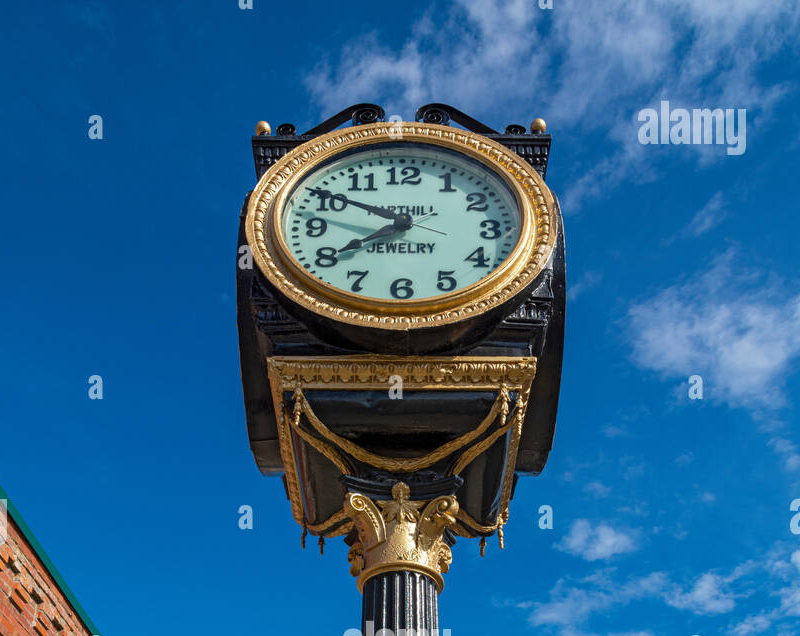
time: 7:49
